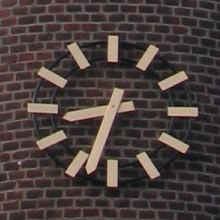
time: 8:33
